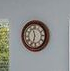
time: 11:32
